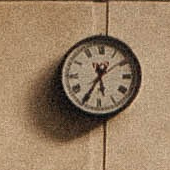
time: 5:34
